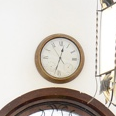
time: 12:32
